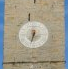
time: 6:32
